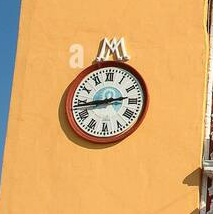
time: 2:43
